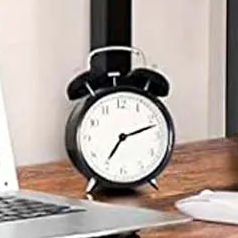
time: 7:12
